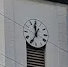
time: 11:34
